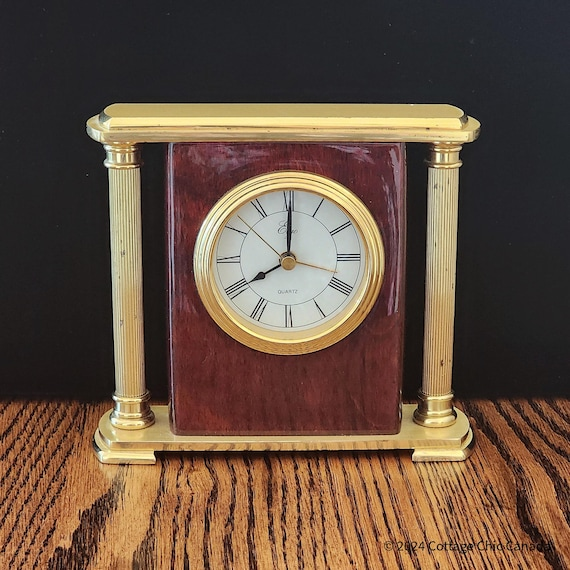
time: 8:00
